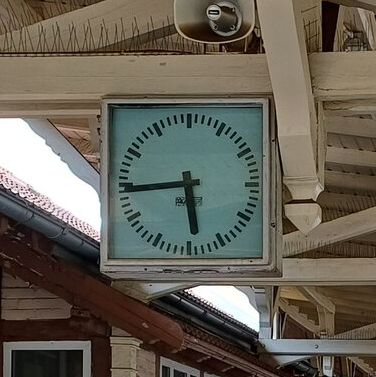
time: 5:44
